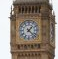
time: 1:22
